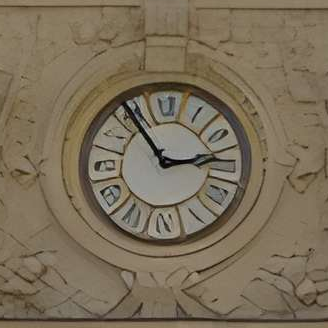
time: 2:54
